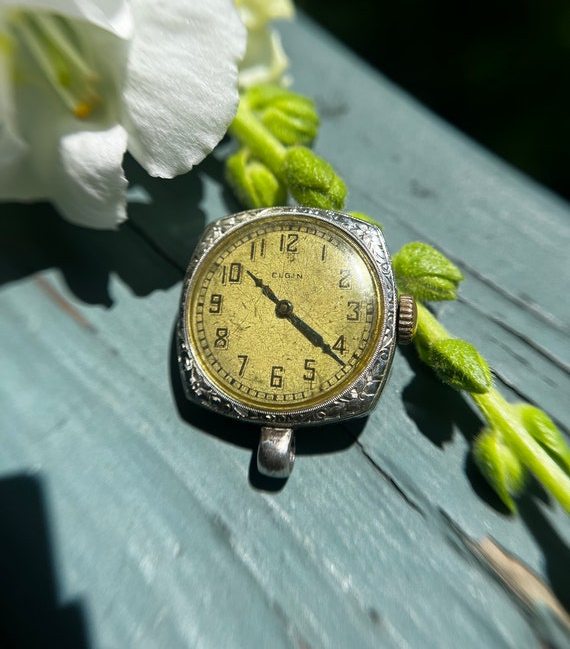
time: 10:21
